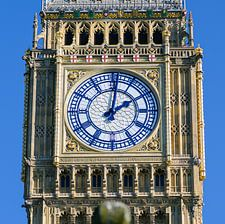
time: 2:01
